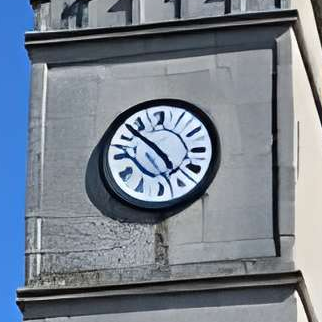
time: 4:52
